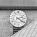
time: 2:21
